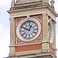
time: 12:49
